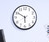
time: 5:50
